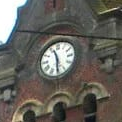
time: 11:29
